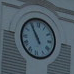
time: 10:54
